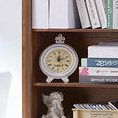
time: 12:10
